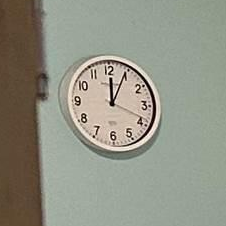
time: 12:04
